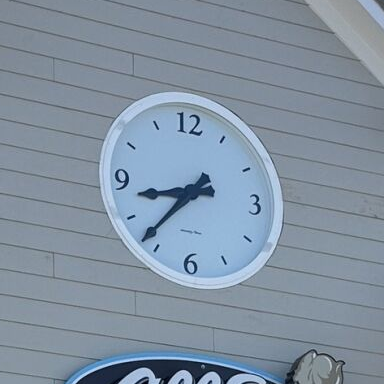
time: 8:37
